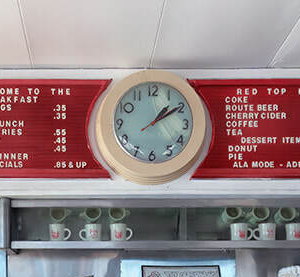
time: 1:09
